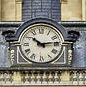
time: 10:13
